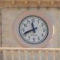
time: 11:41
